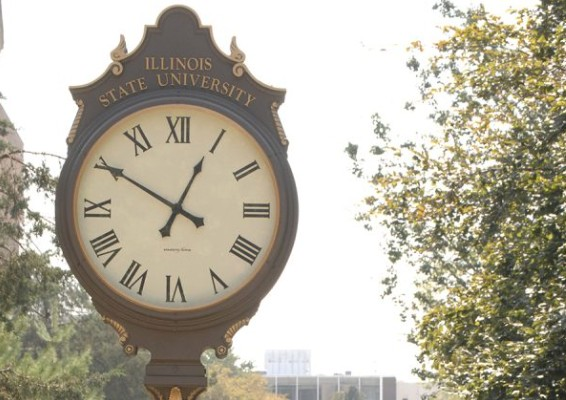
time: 12:50
